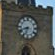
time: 6:41
